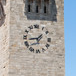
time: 1:43
